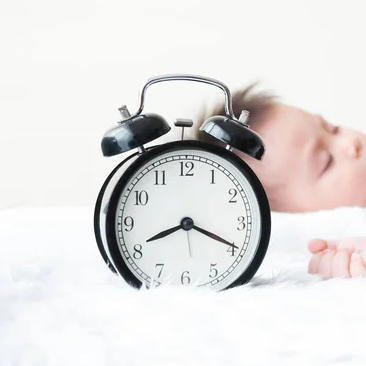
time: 8:19
